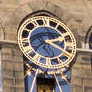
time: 2:18
